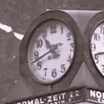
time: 10:42
